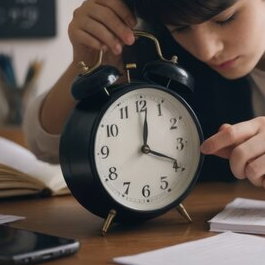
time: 12:18
